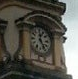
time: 12:24
